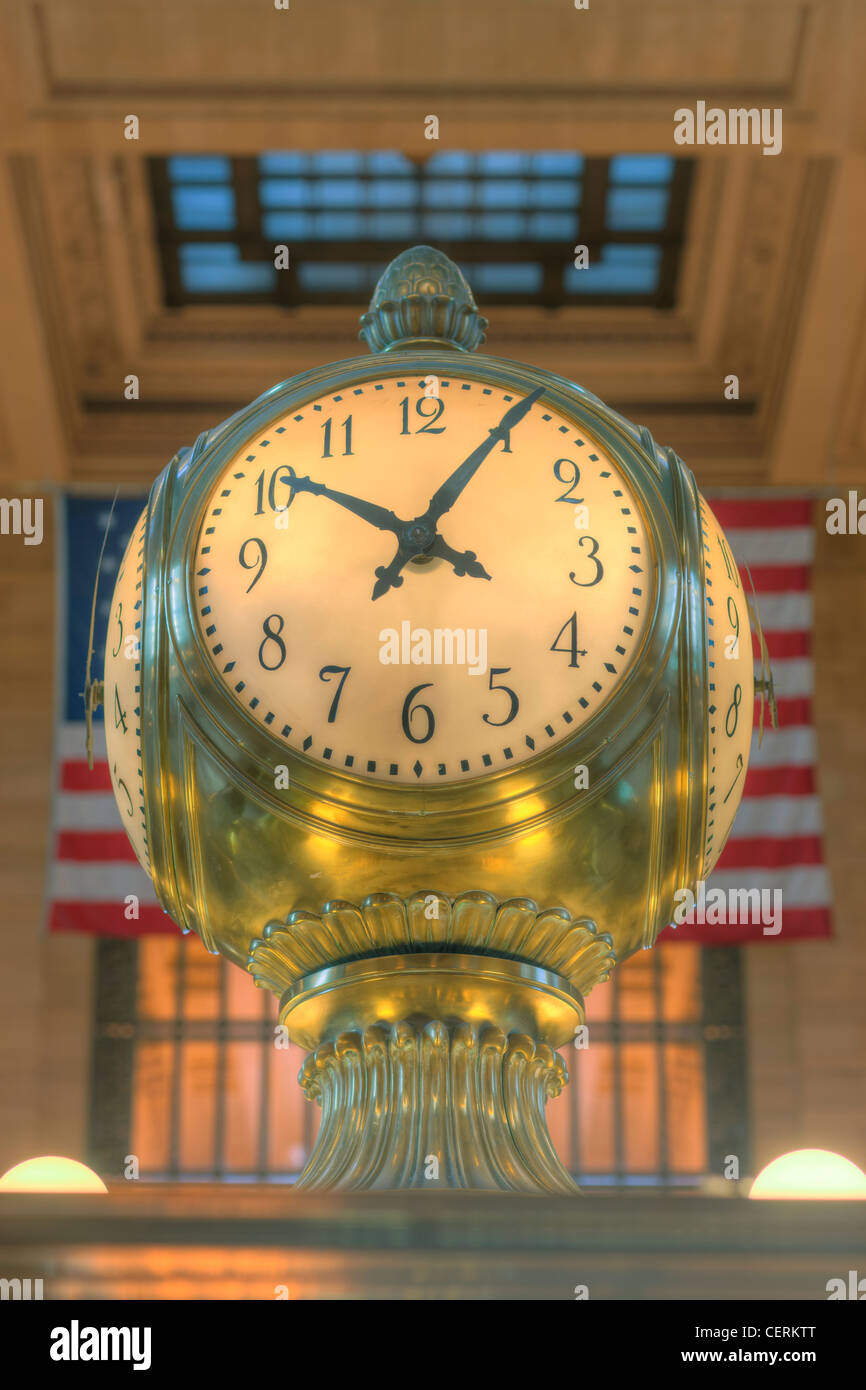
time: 10:05
